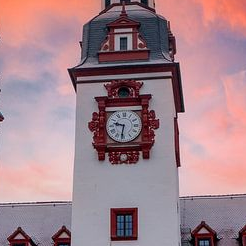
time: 9:32
